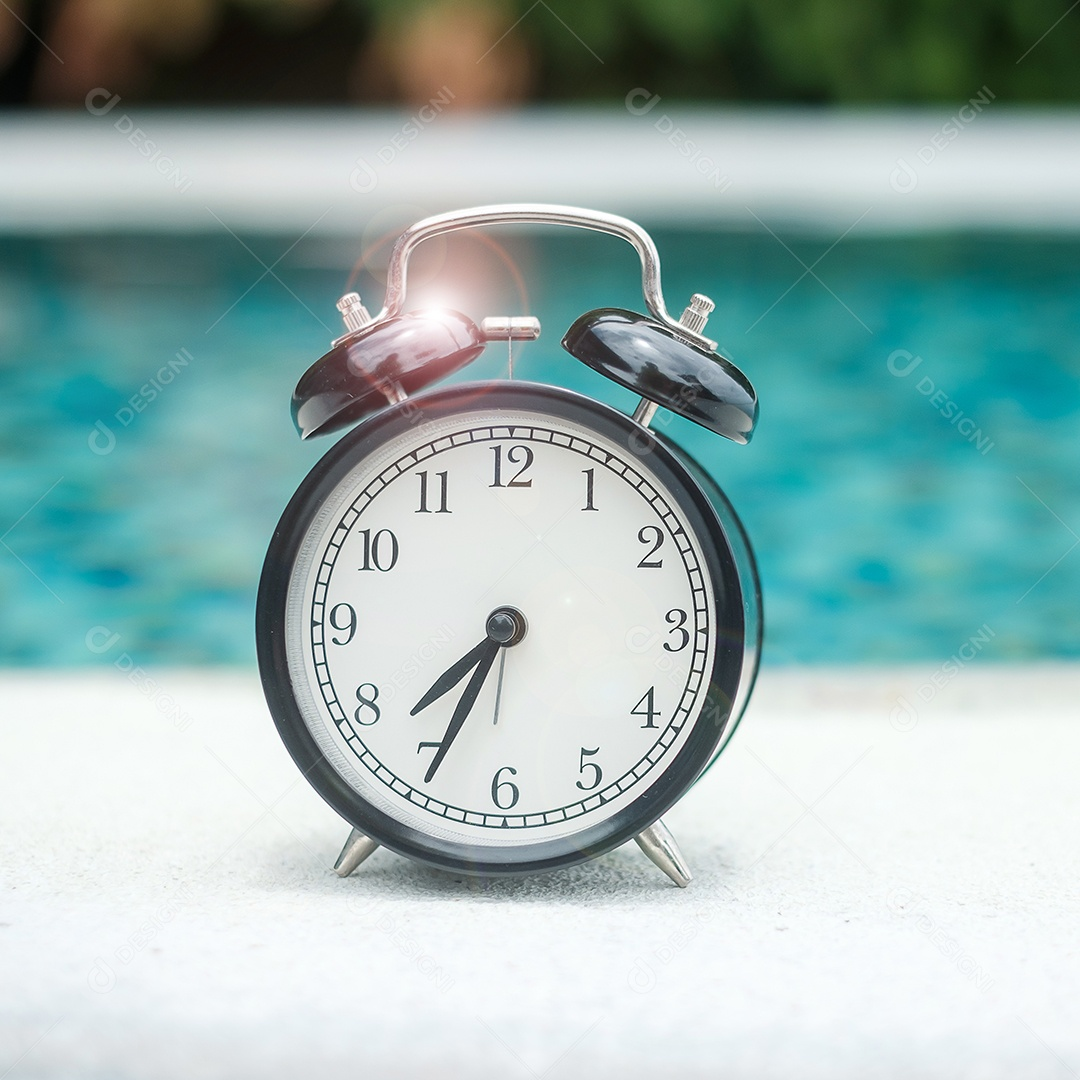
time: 7:34
